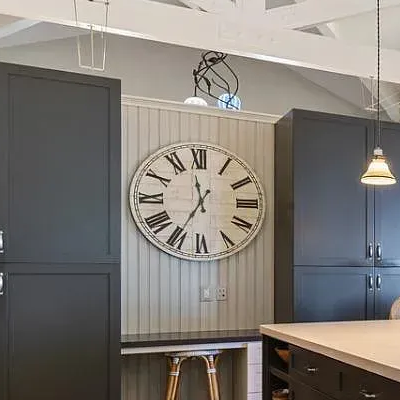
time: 11:35
